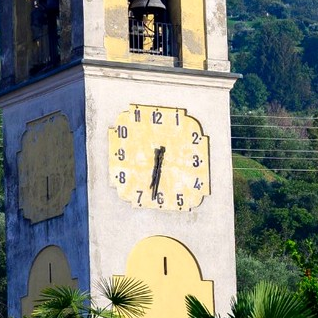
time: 6:31
